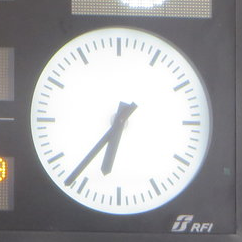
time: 6:36
